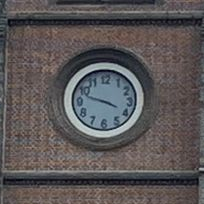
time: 3:48
